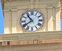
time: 10:39
